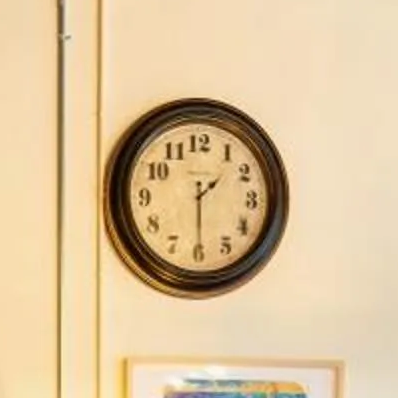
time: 1:29
